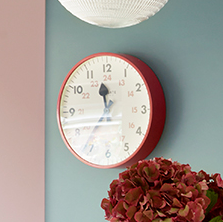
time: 11:36
